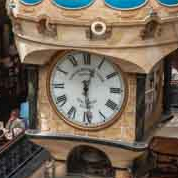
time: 12:28
